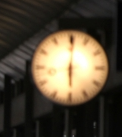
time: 6:00
